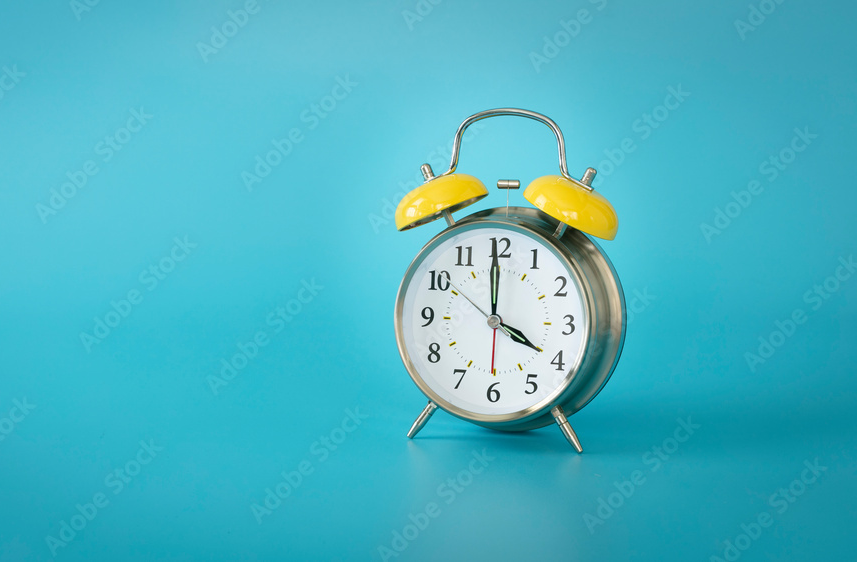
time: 3:59
